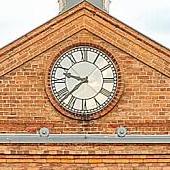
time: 9:38
